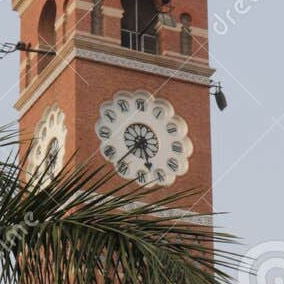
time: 5:37
